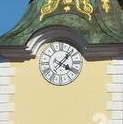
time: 4:07
